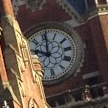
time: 10:00
